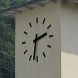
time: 2:32
